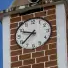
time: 9:38
